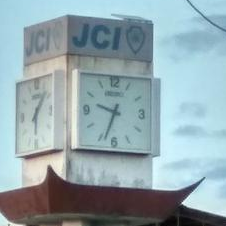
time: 9:33
